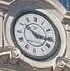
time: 10:16
